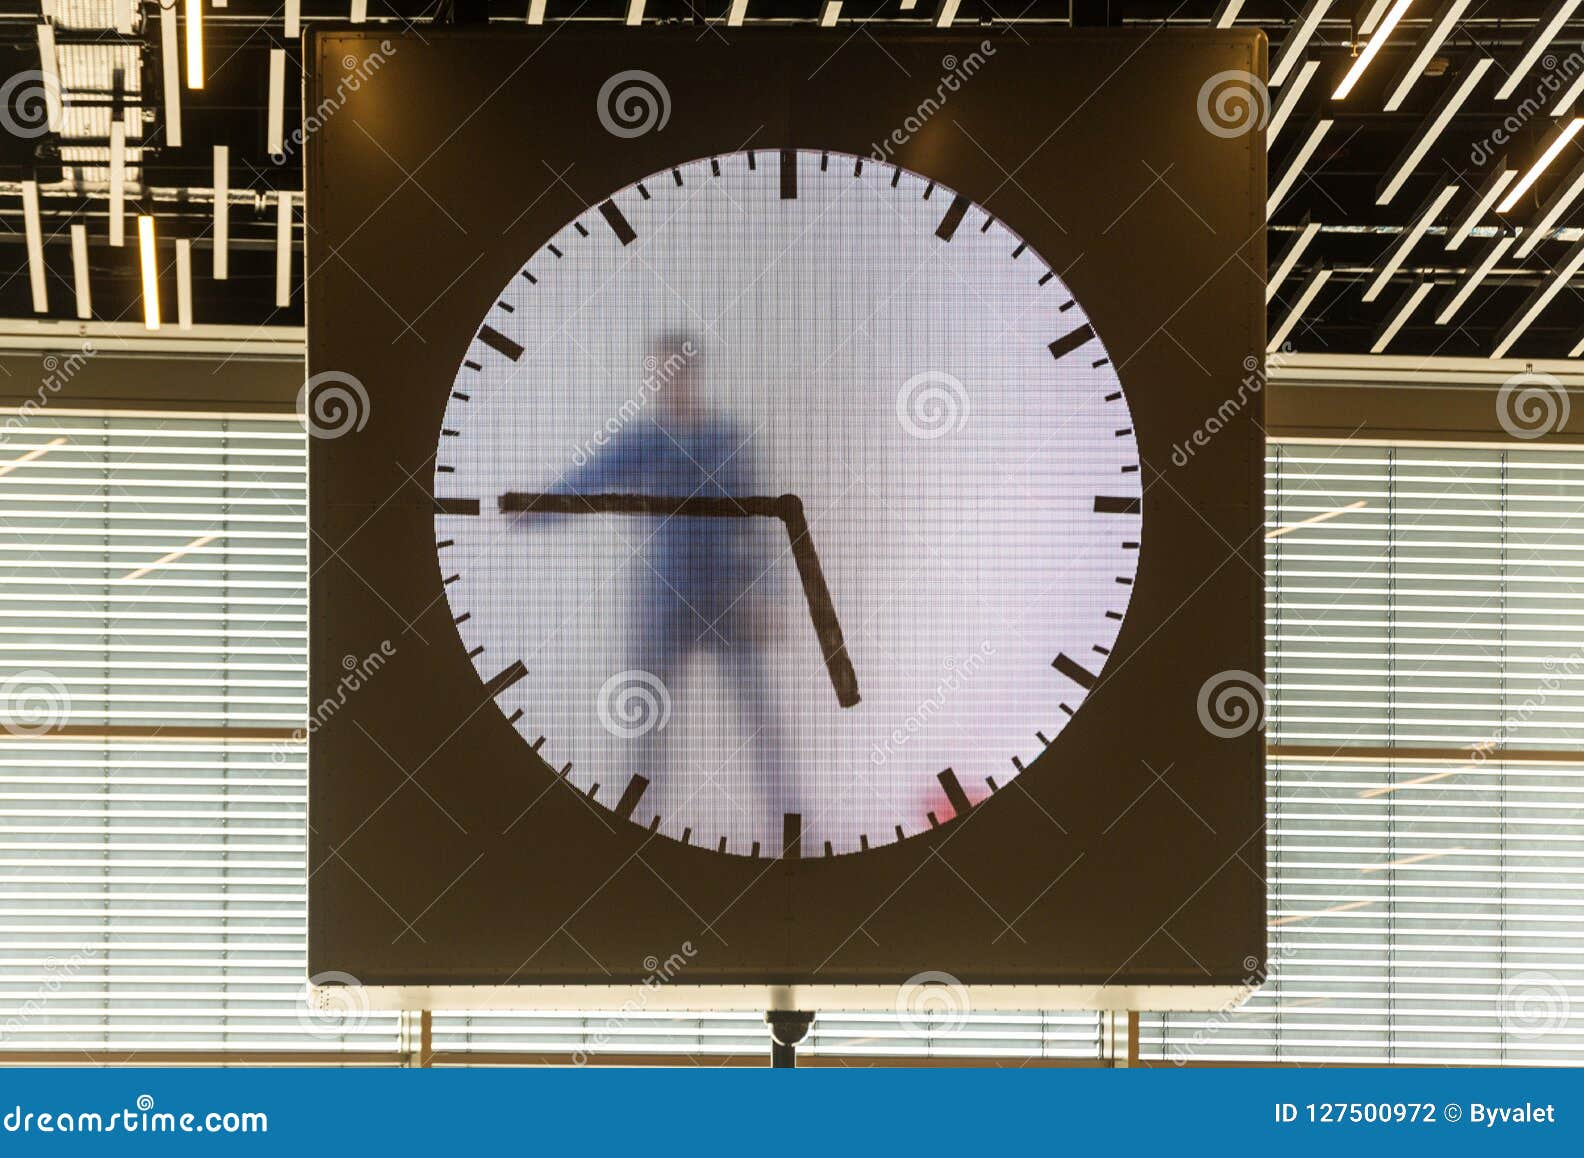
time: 5:45
